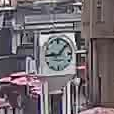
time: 9:07
